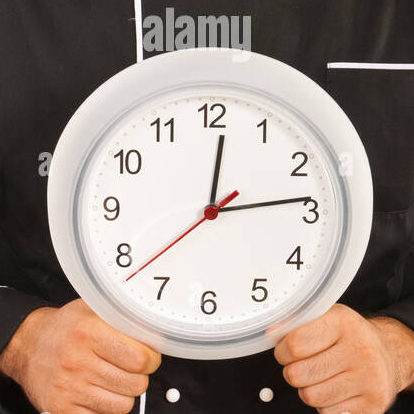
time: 12:13
